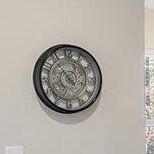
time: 12:53
